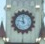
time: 11:46
